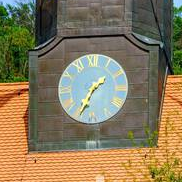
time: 1:34
